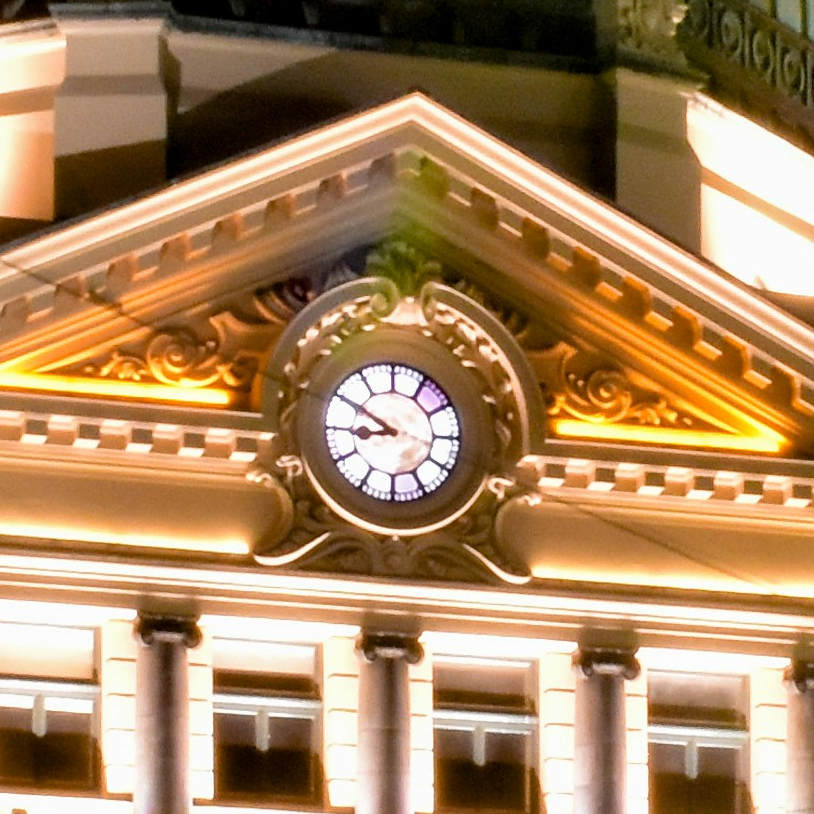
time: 8:50
